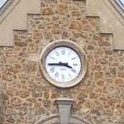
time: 3:44
